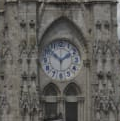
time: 1:51
